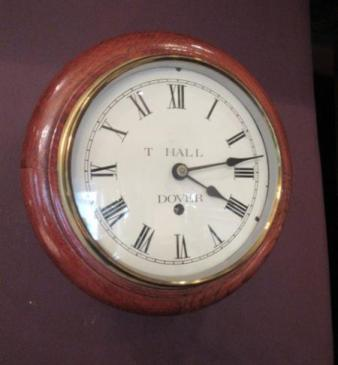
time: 4:13
